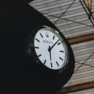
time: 6:08
